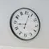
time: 9:02
